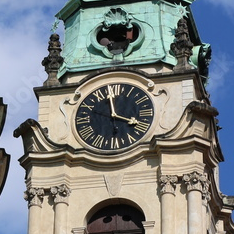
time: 3:58
